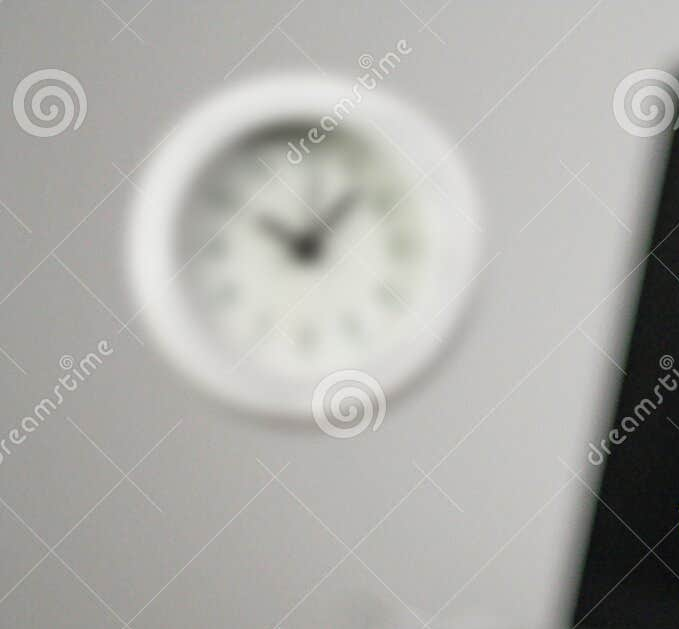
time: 10:07
